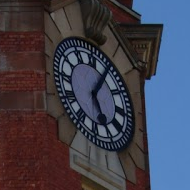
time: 5:05
